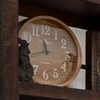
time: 11:41
